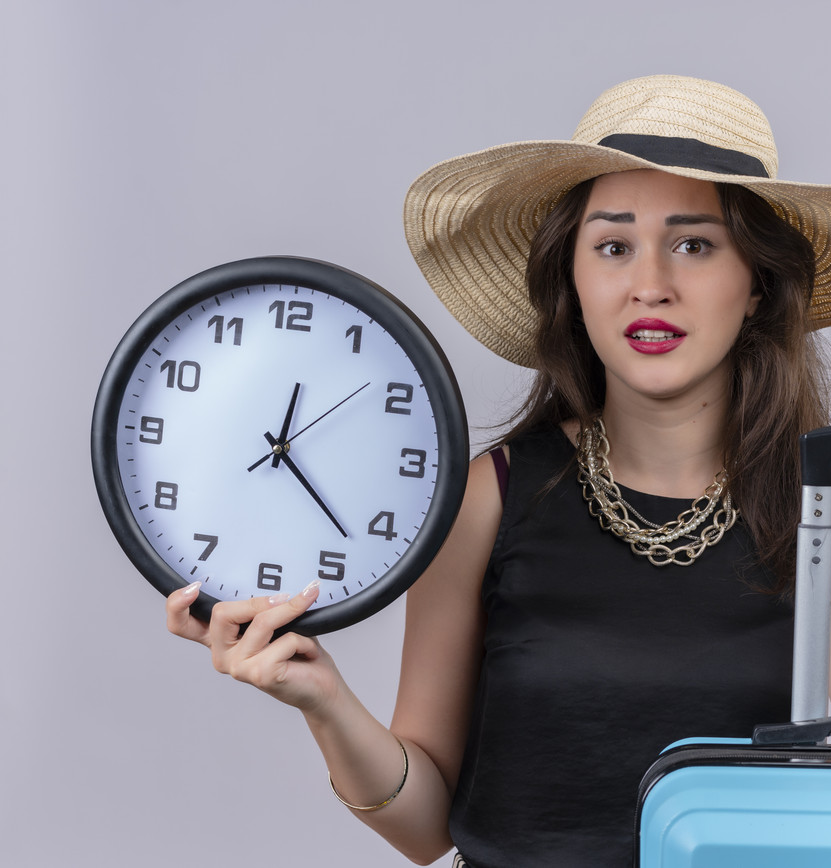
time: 12:22
